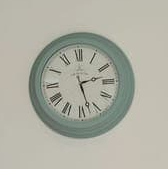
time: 2:27
